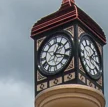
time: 1:18
